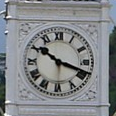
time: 10:18
